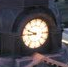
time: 8:48
